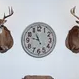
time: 10:47
